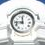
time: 11:44
